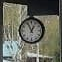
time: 12:55
